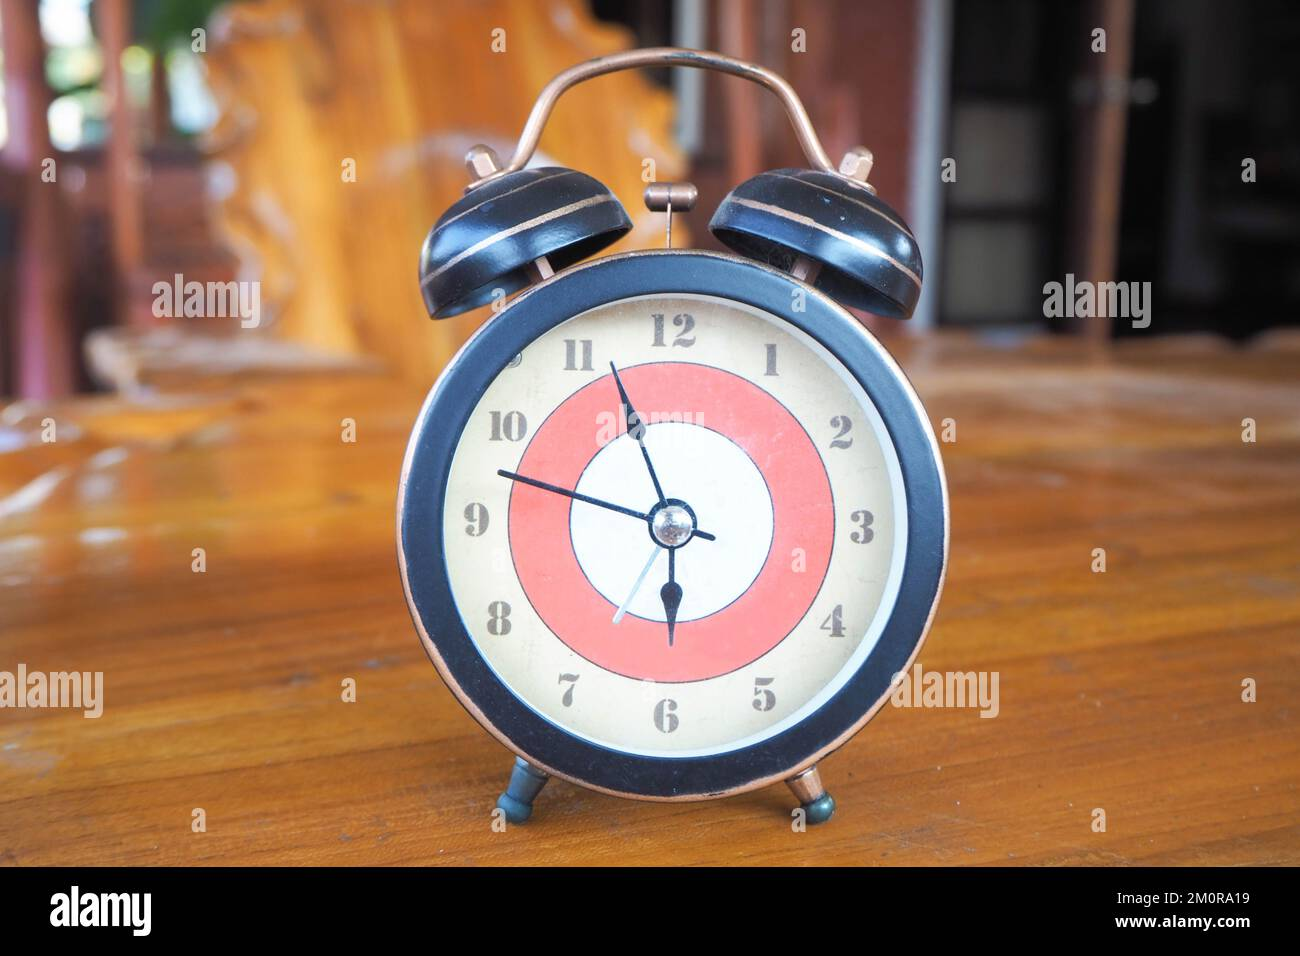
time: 5:47
